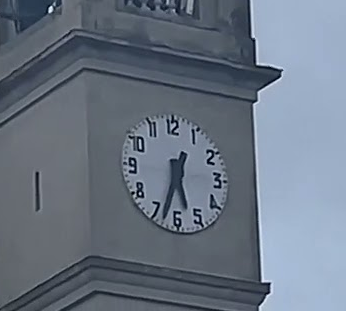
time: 5:33
